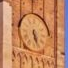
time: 5:26
